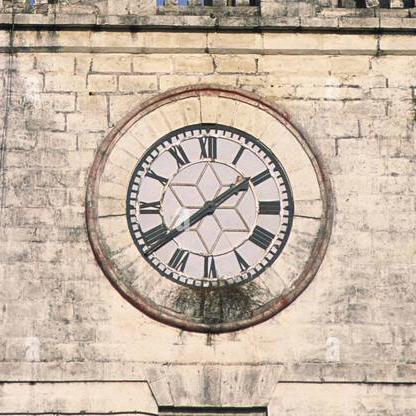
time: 1:38
